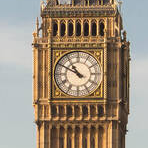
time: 10:49
